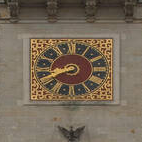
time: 8:40
